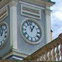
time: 12:57
